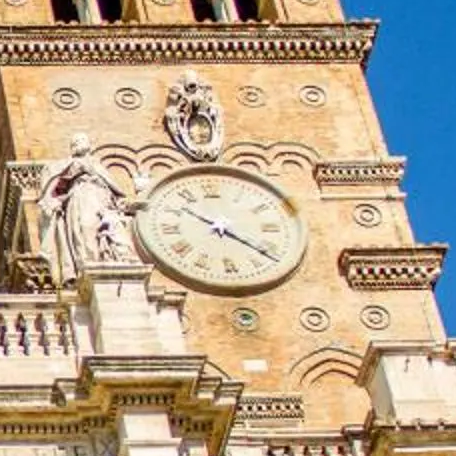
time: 10:21
